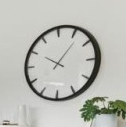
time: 10:06
